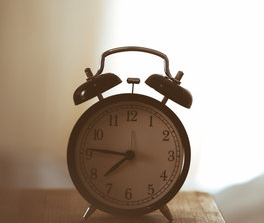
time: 7:46
